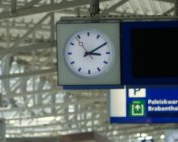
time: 3:09
